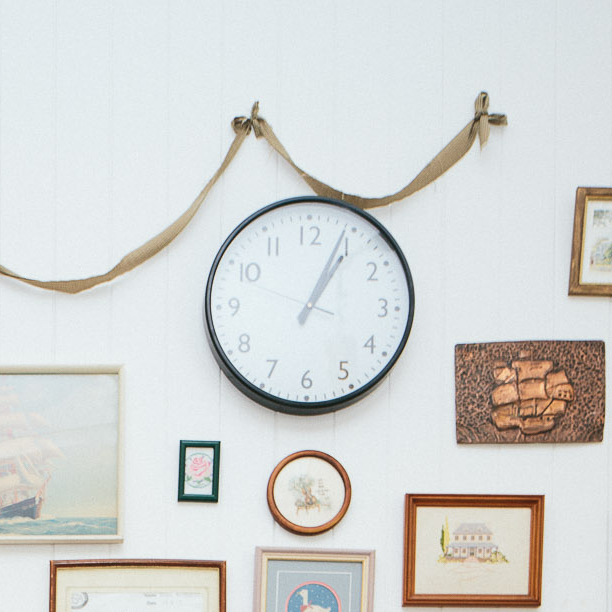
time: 1:04
